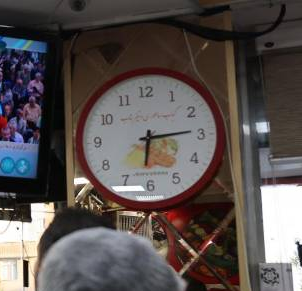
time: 6:14
